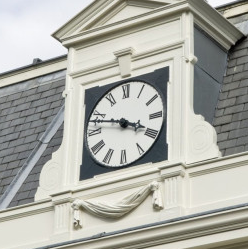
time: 3:47
